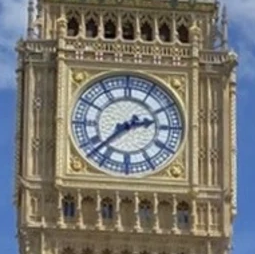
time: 2:37
